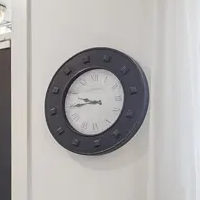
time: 9:45
